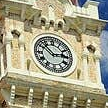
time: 2:52
